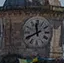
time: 11:40
